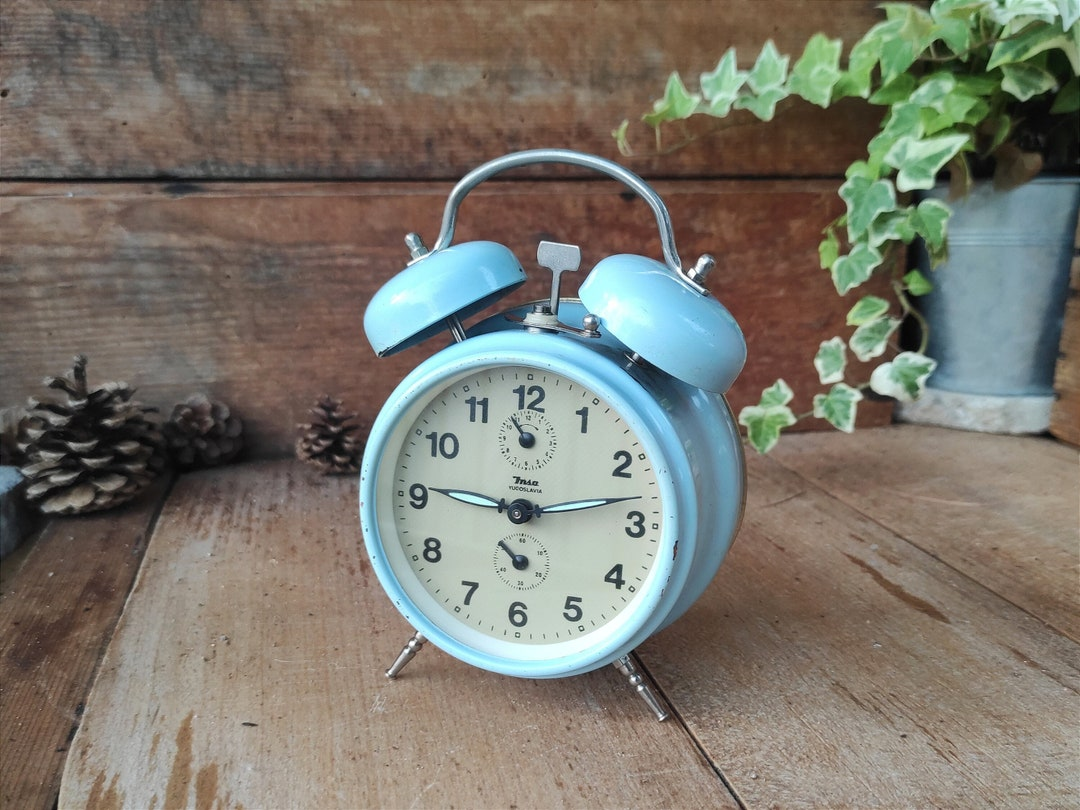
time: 9:13
